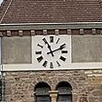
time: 11:11
